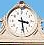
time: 3:28
